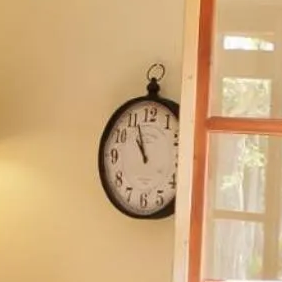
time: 10:56
